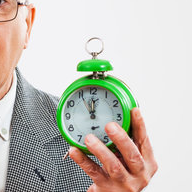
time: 11:55
